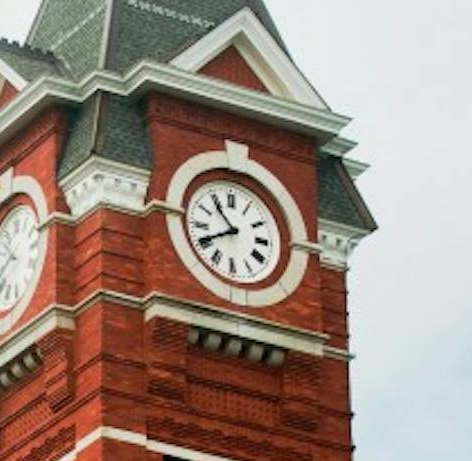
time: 10:40
